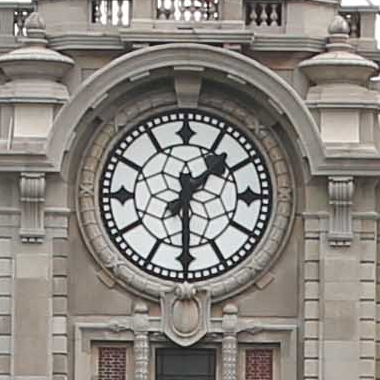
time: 1:29
